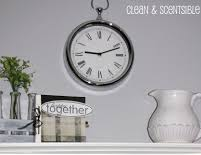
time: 9:11
